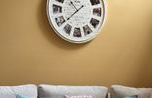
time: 1:38
